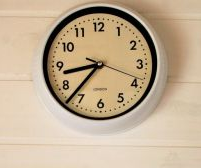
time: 8:37
